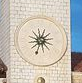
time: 1:33
